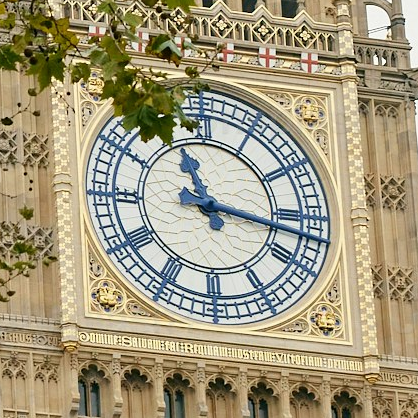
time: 11:17
